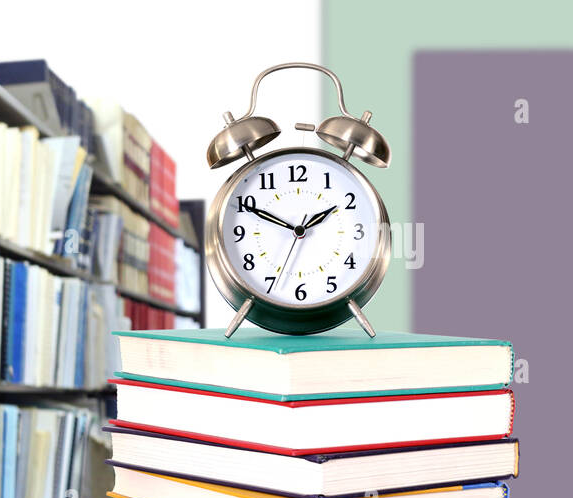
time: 1:49
